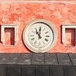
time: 11:00
